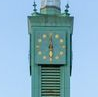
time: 6:00
